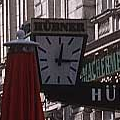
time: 12:14
